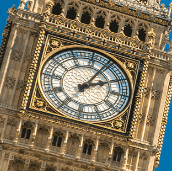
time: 2:04
